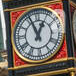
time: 12:56
